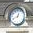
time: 12:41
